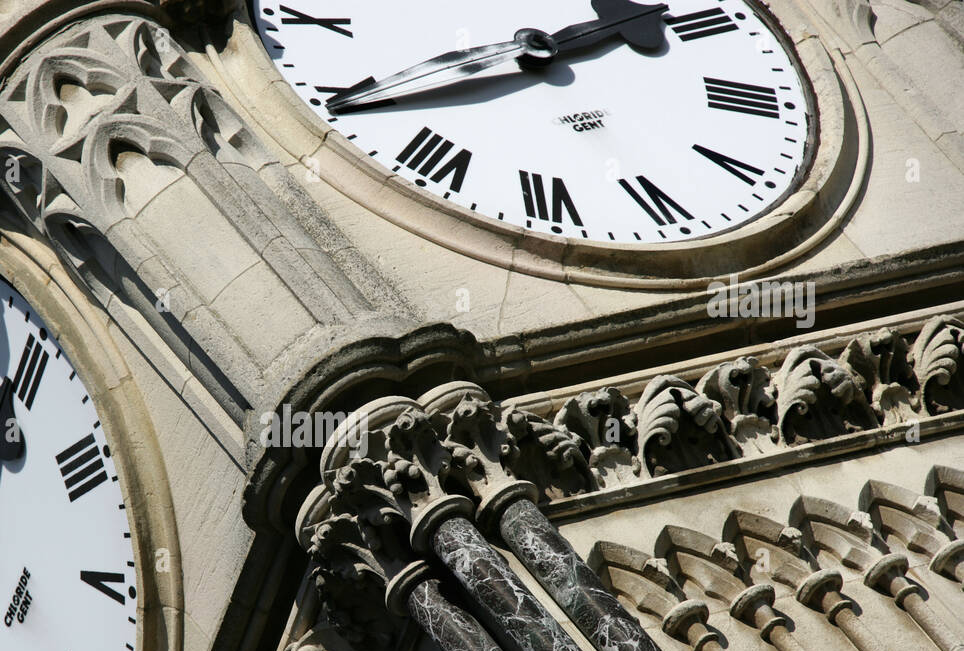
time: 1:40
